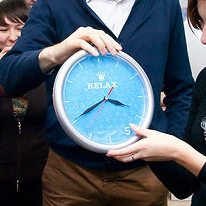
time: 3:40
